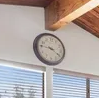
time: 9:20
